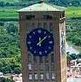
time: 12:08
